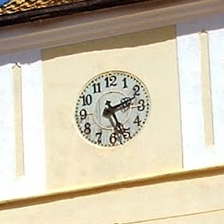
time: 2:26
